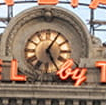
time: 5:05
